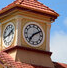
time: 7:10
